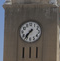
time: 7:36
